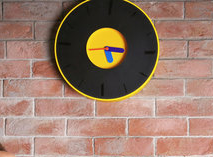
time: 5:15
